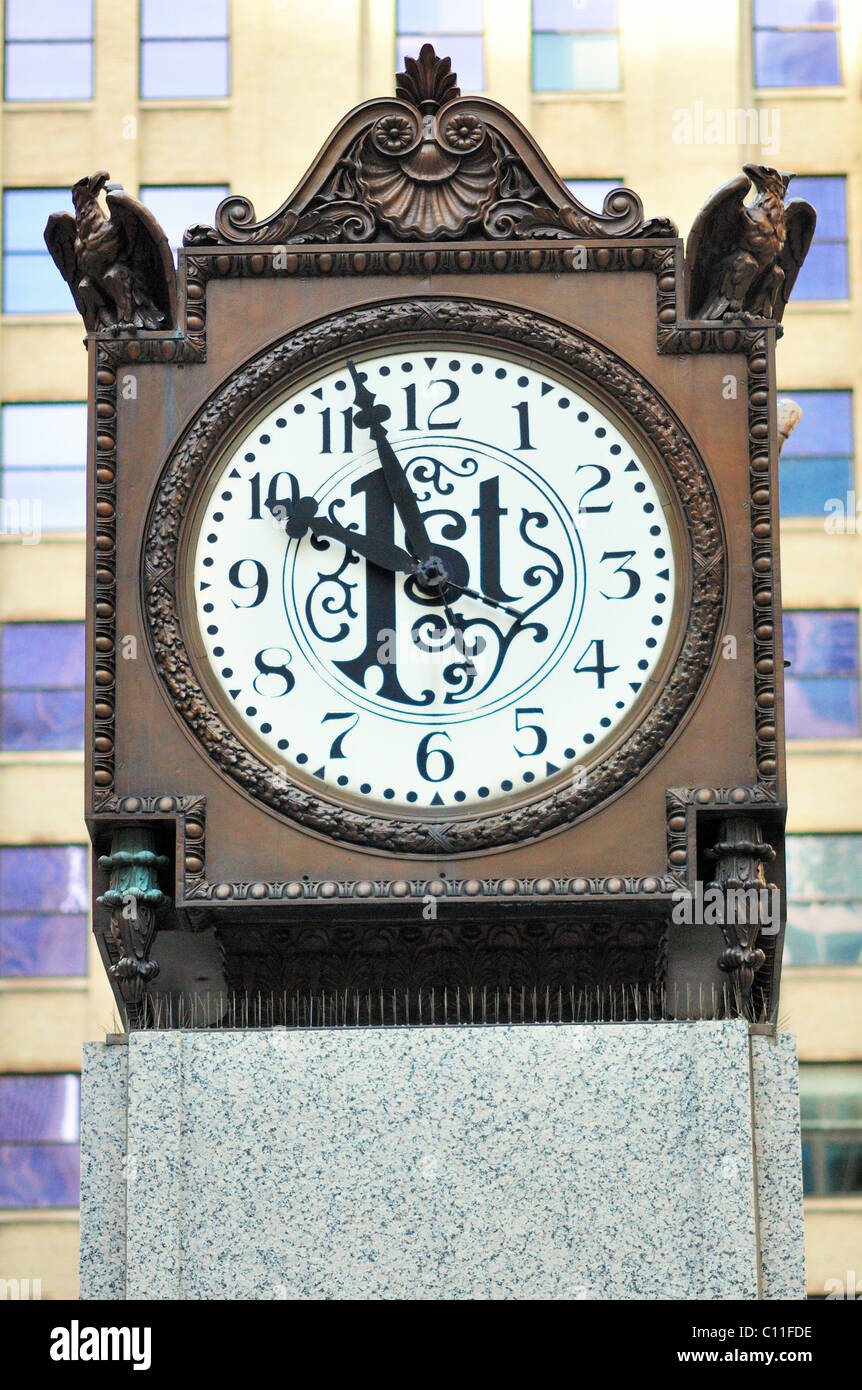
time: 9:57
